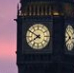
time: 7:50
